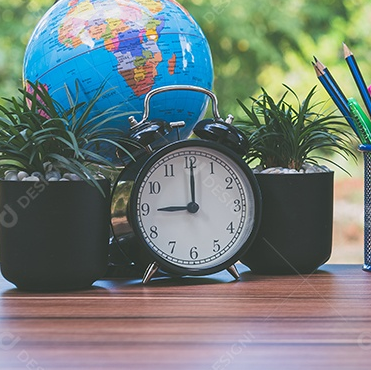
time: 9:00
